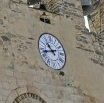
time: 10:42
